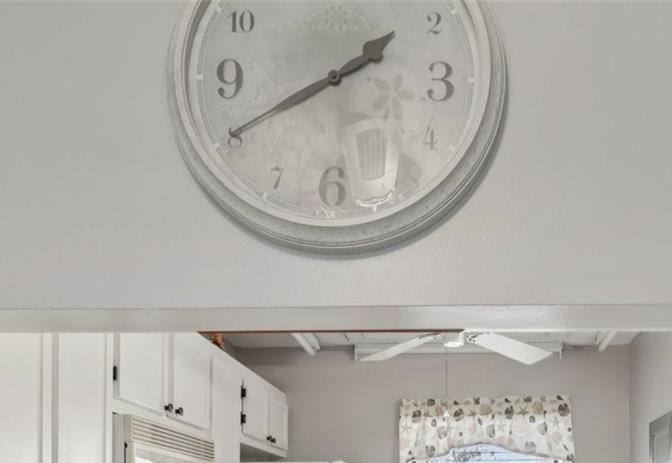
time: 1:40
